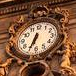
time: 6:34
